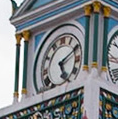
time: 5:10
